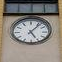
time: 5:06
